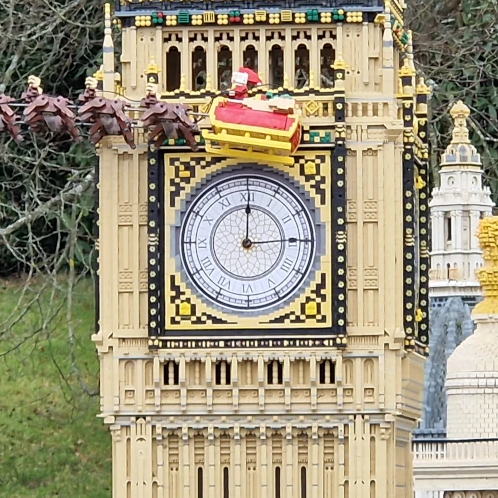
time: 3:00
